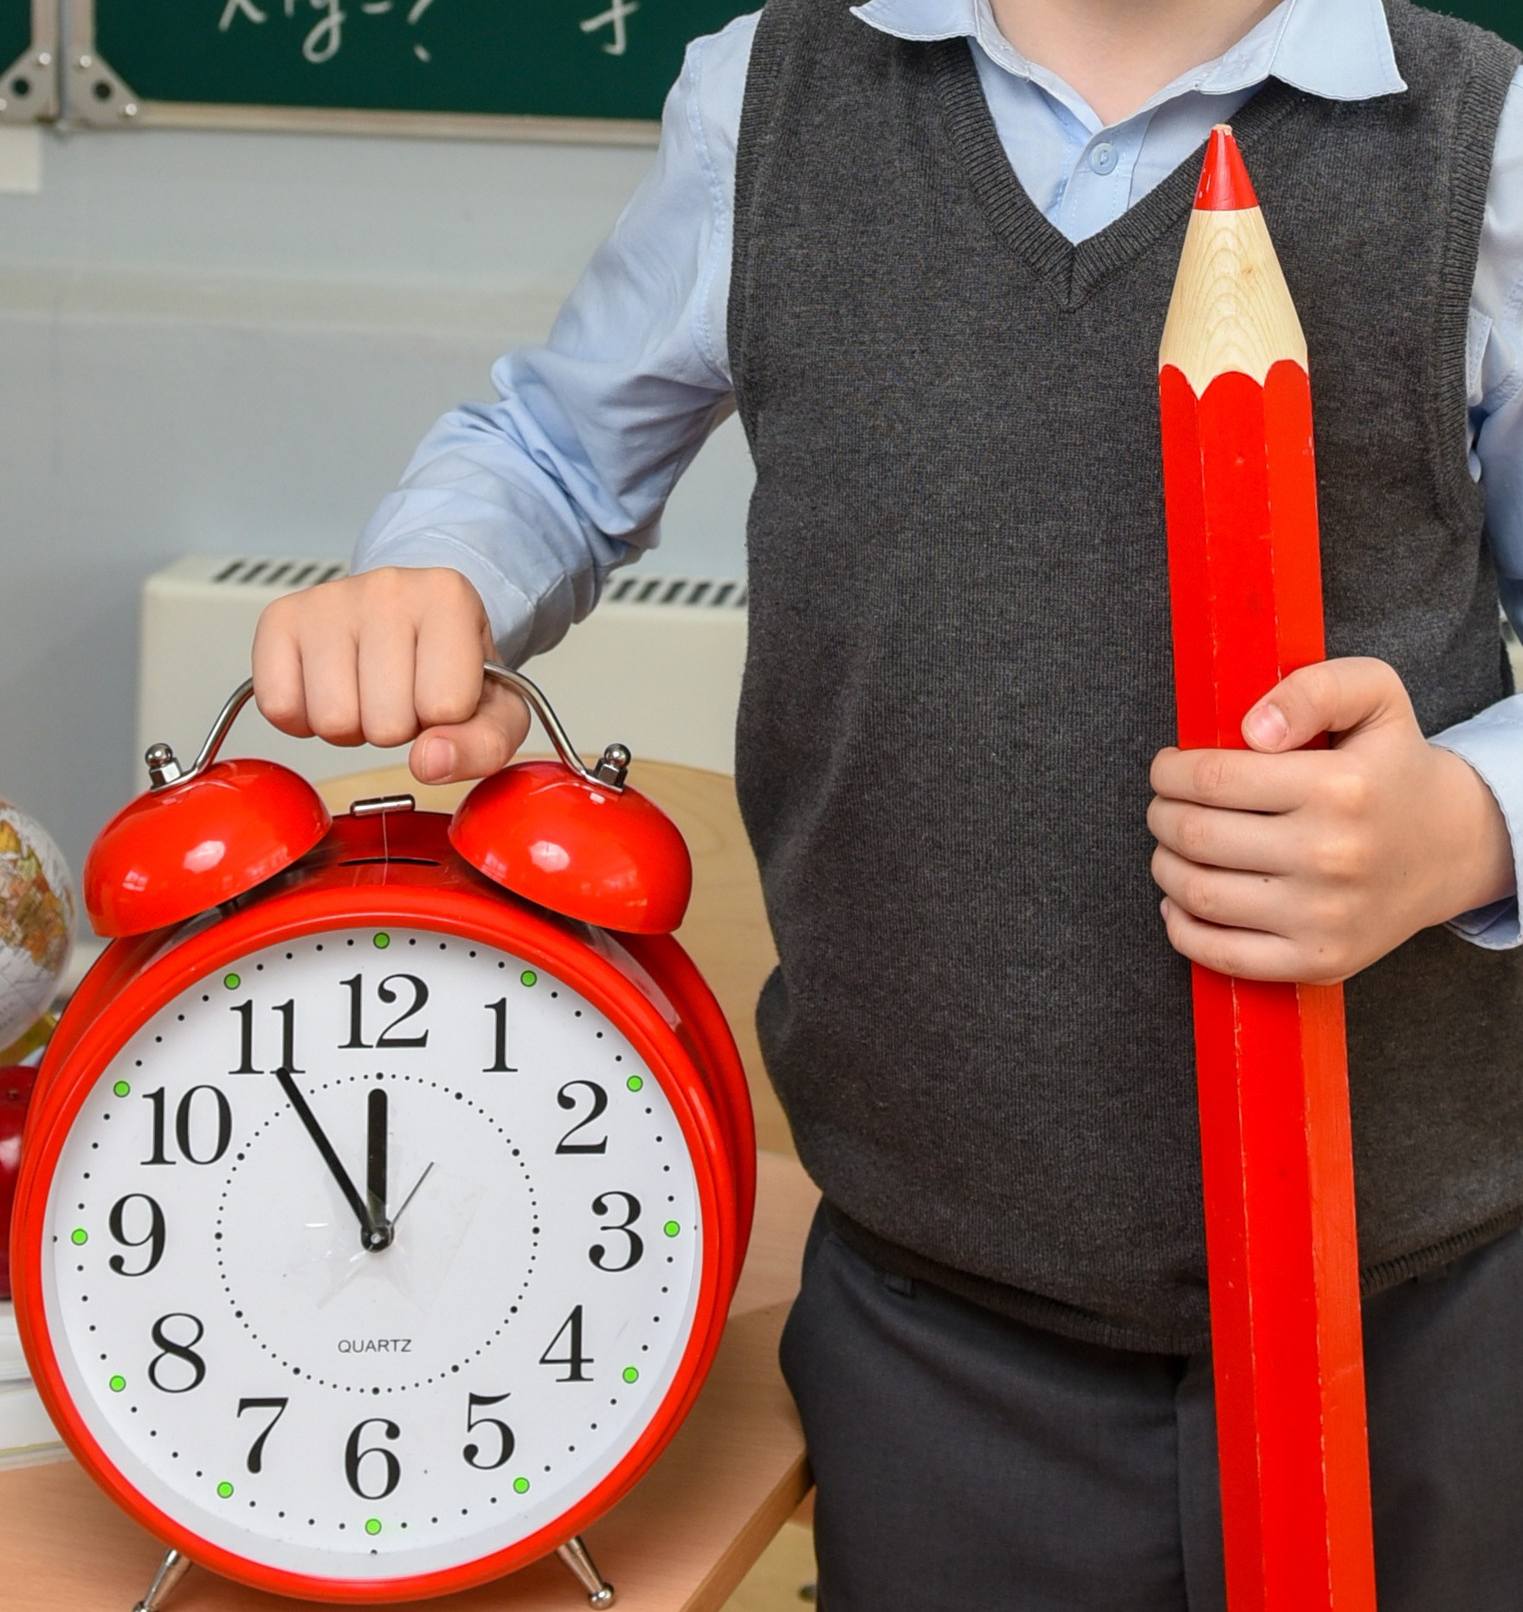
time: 11:54
